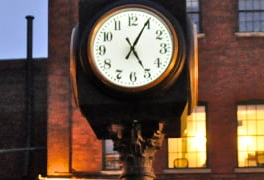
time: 5:04
